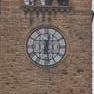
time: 12:28
